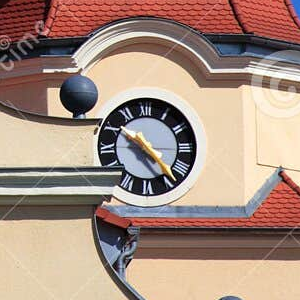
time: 4:50
